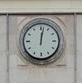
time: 12:01
